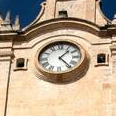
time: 1:23
